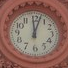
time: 12:03
